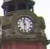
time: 11:31
